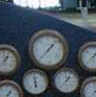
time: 1:37
